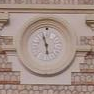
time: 11:28
